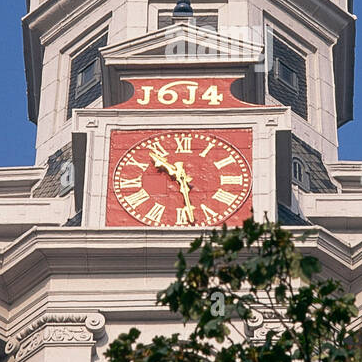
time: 10:28
